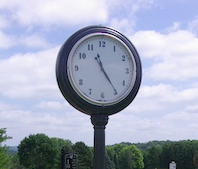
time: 11:24
